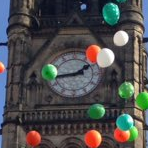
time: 1:43
